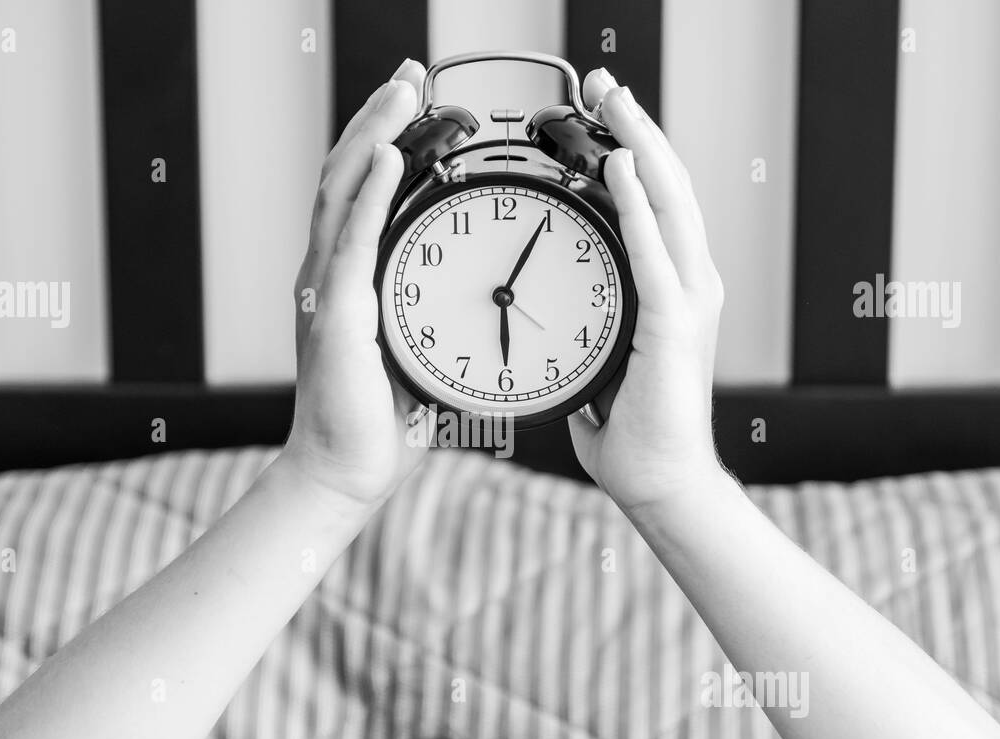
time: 6:04
